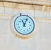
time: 11:03
